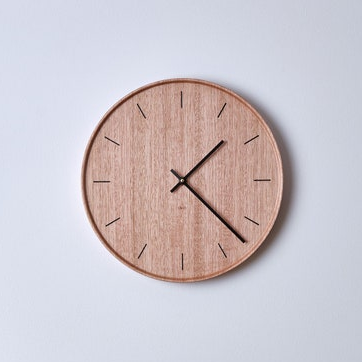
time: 1:22
